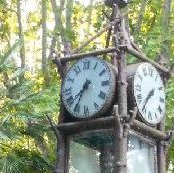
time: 7:34
